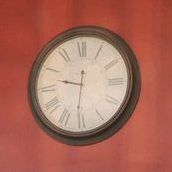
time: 9:31
